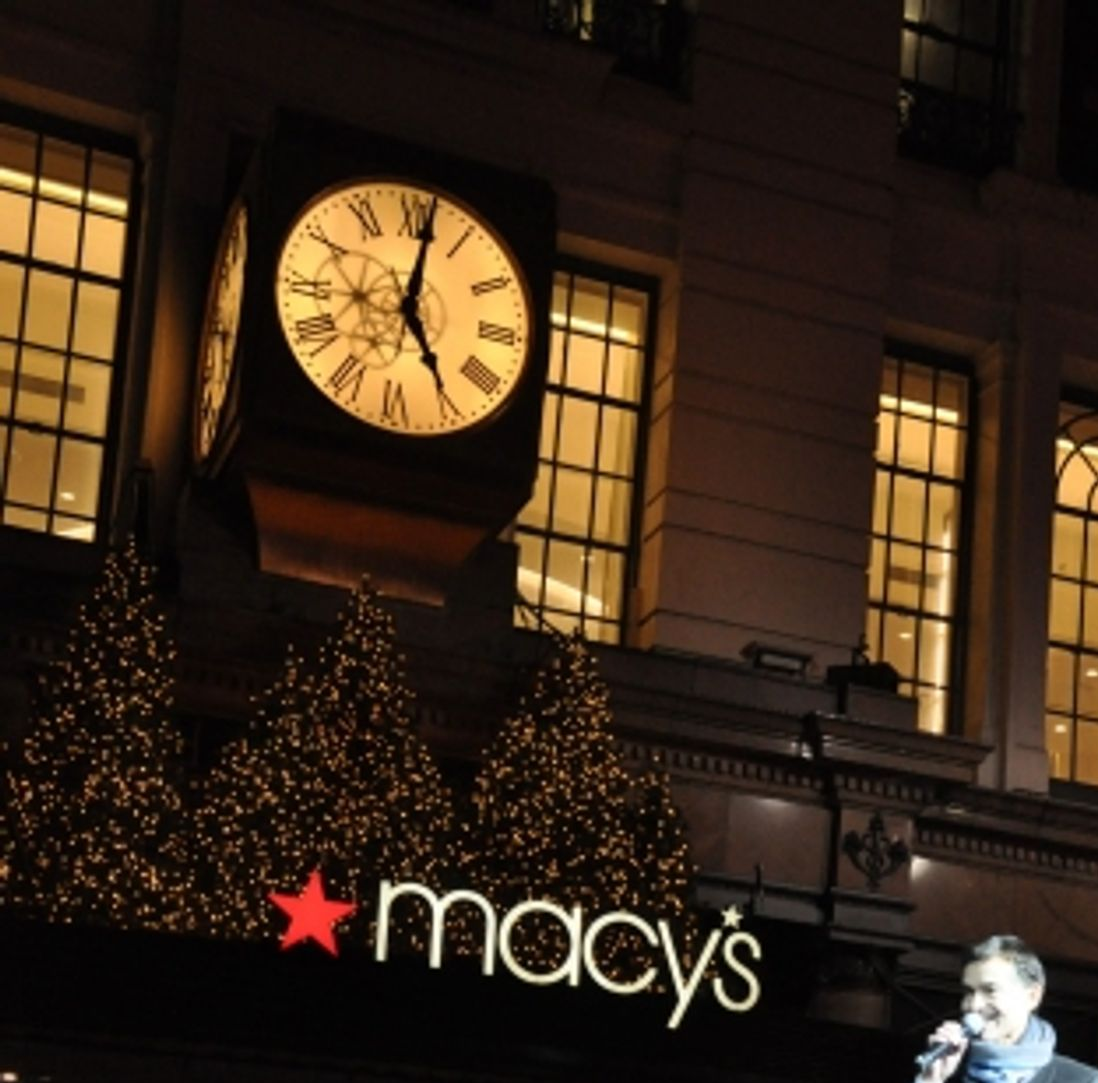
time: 5:01
